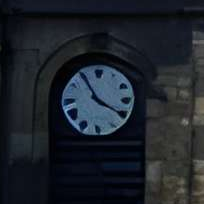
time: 3:54
